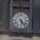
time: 5:23
